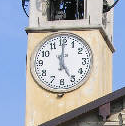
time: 5:00
